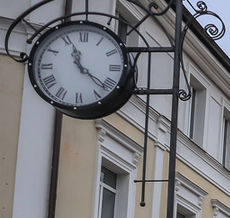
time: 11:21
